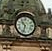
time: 10:32
